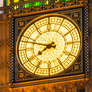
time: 7:47
